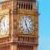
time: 11:26
